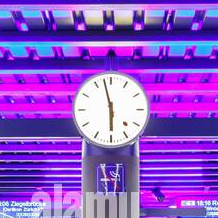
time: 5:57
